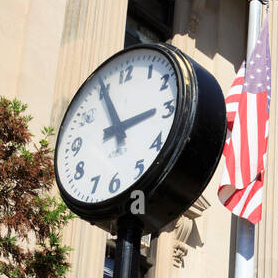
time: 2:55
